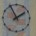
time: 1:55
